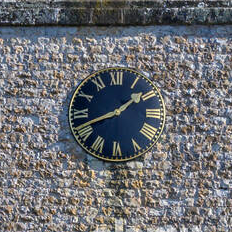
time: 1:41
